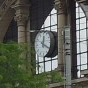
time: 12:19
